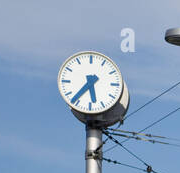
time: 5:36
